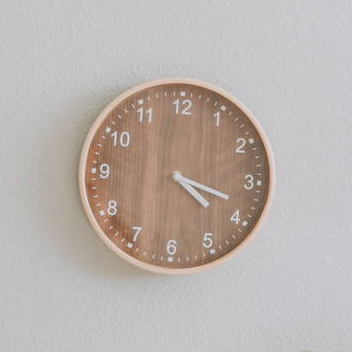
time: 4:18
